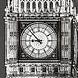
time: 8:52
